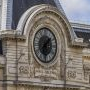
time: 1:30
